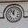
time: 11:53
